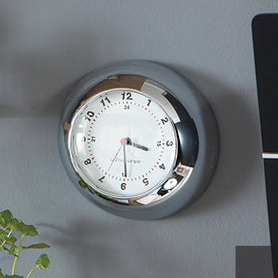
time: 3:29
